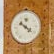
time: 10:21
